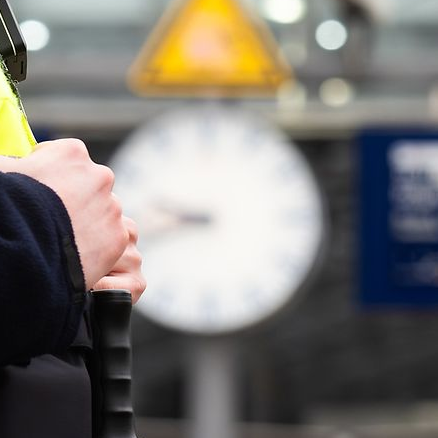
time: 9:42
